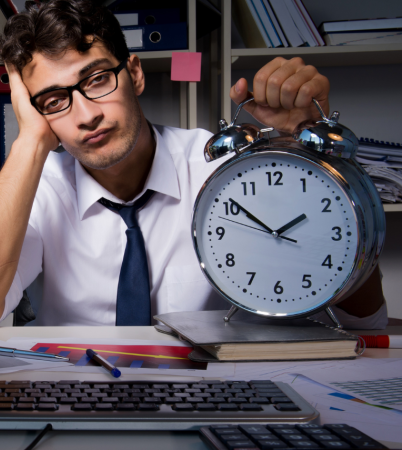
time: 1:51
